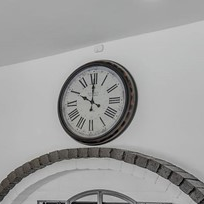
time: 10:00
